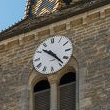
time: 10:23
